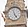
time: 4:57
